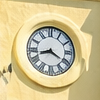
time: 8:20
